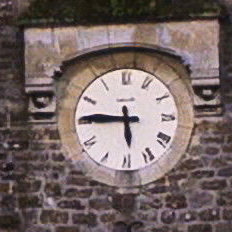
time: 5:45
